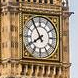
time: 7:54
